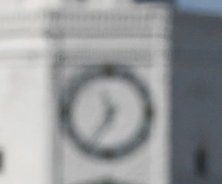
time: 11:35
